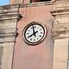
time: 7:57
